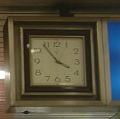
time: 3:53
